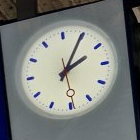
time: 2:04
